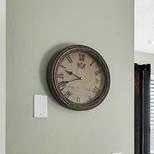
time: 9:41
